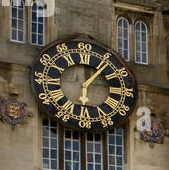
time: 6:06
